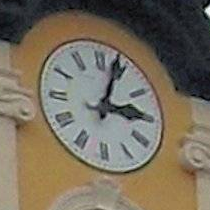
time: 3:03
